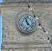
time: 11:22
